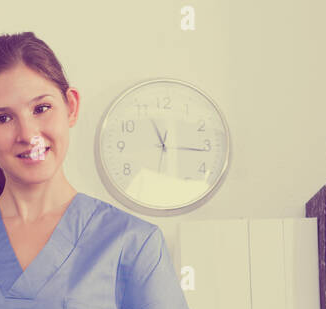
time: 11:15
